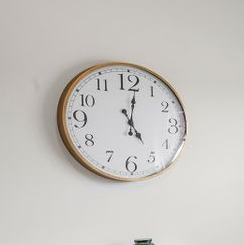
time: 5:01
